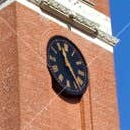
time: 11:24
